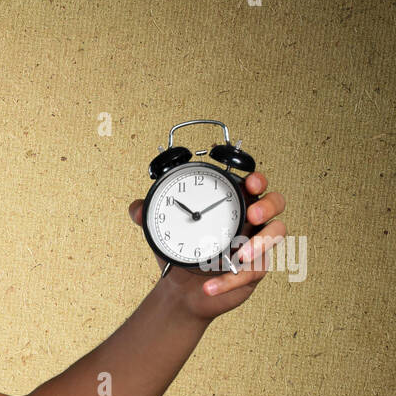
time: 10:10
